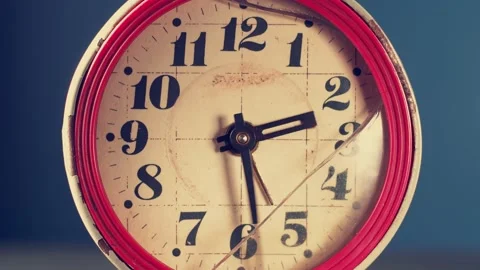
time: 2:28
